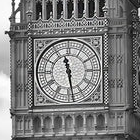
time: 11:28
